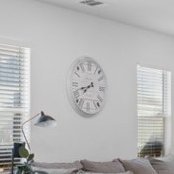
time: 7:42
